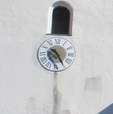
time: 10:24
